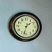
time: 1:32
